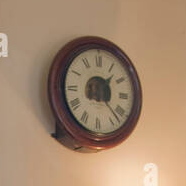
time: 1:22
